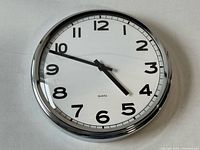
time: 4:48
